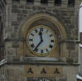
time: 11:36
